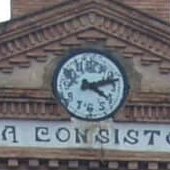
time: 4:12
